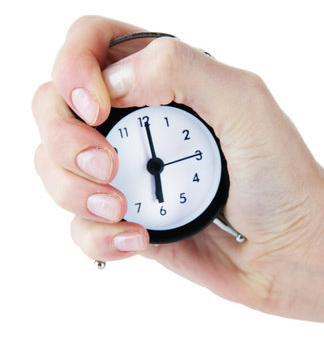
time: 6:00
